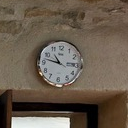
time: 10:47
